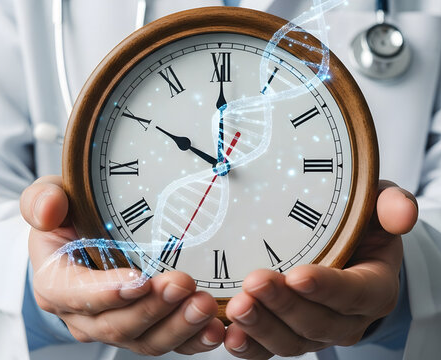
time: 10:00
